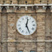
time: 12:26
